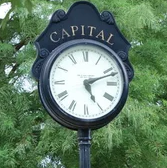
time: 5:11
